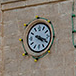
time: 4:18
